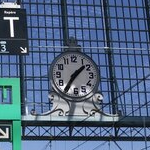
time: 1:35
